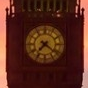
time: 7:21
